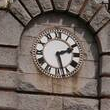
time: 2:27
